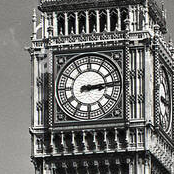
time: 3:13
